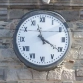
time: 11:20
